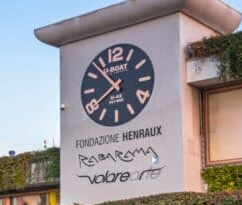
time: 7:53
